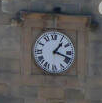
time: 1:18
